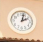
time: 2:02
